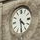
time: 4:29
